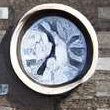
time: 11:35
